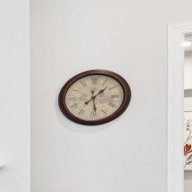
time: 1:28
